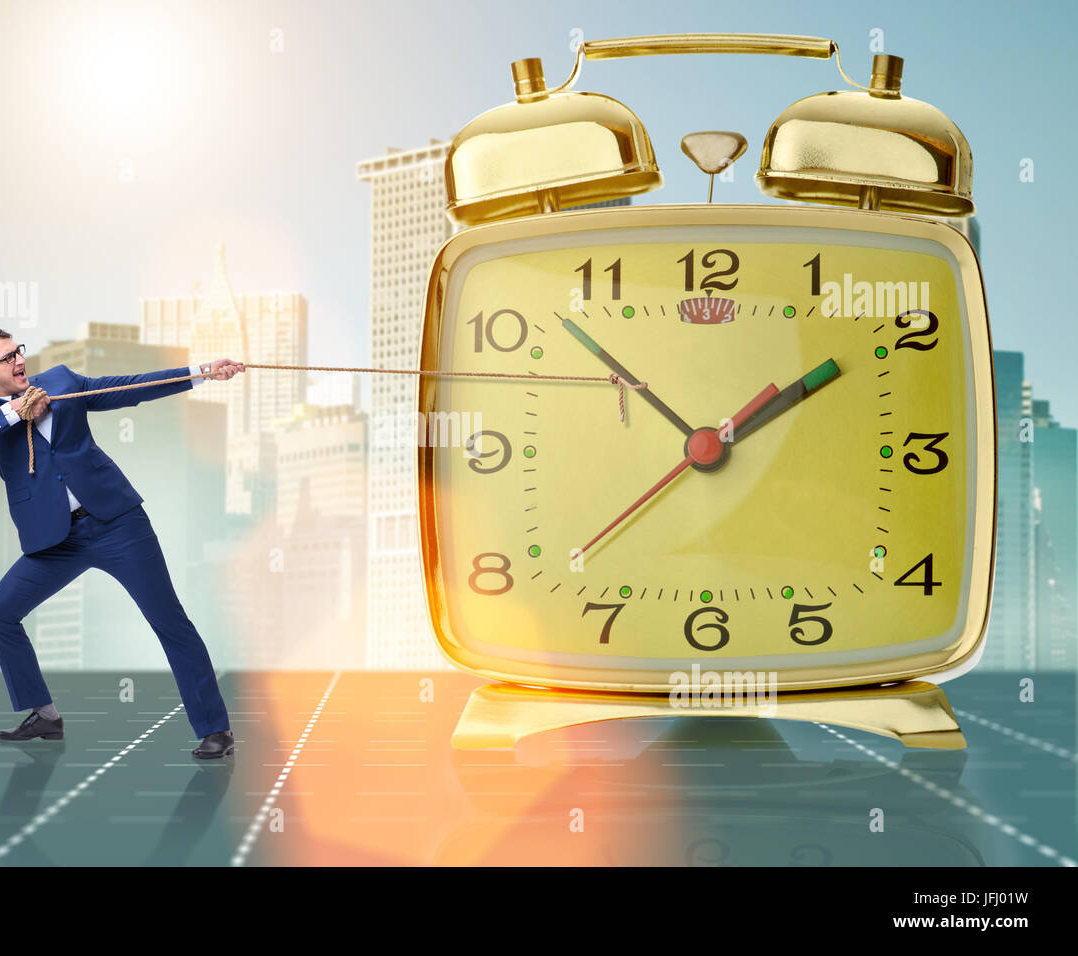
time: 1:52
